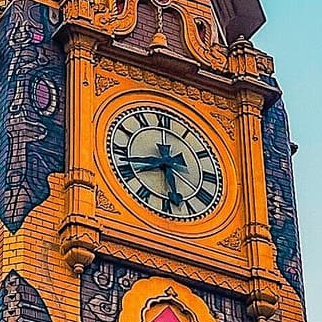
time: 5:42
